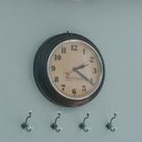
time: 2:20
